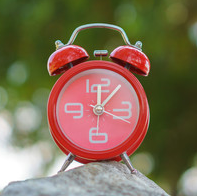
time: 12:07
